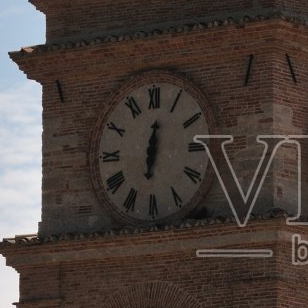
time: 6:31
